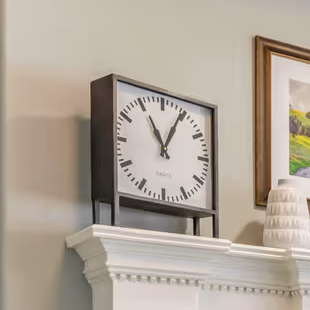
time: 11:04
